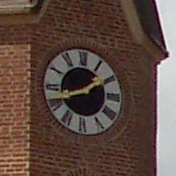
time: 1:42
